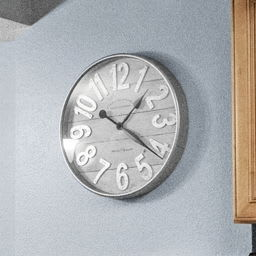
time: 1:21
